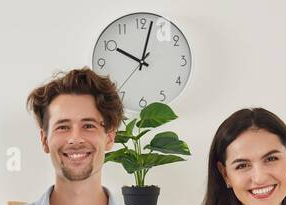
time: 10:02
